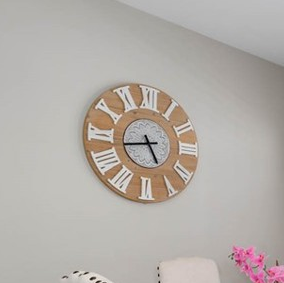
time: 4:43
